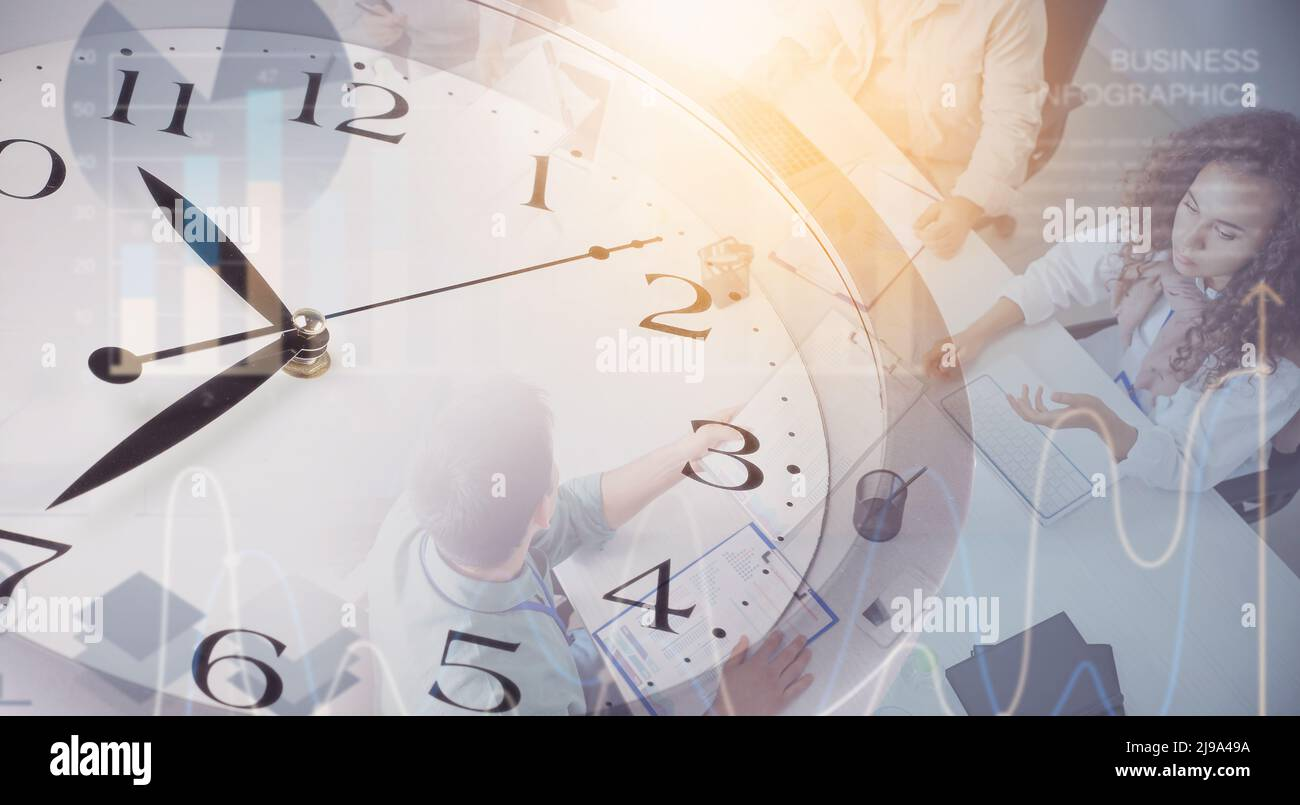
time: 10:36
